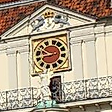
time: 9:42
